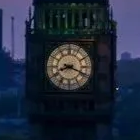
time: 8:18
